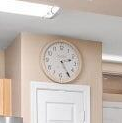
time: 2:24
